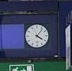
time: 4:06
